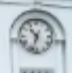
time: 10:33
